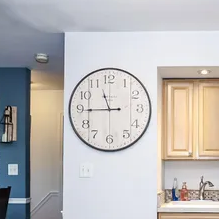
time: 11:44
